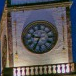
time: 9:34
